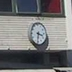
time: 3:31
